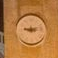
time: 9:12
